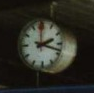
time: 2:18
